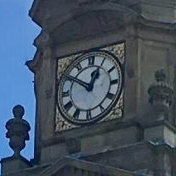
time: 12:50
